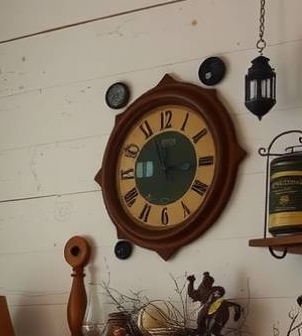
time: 11:15
